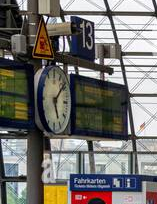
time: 5:08
